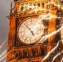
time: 4:52
